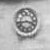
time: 3:43
